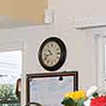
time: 10:42
